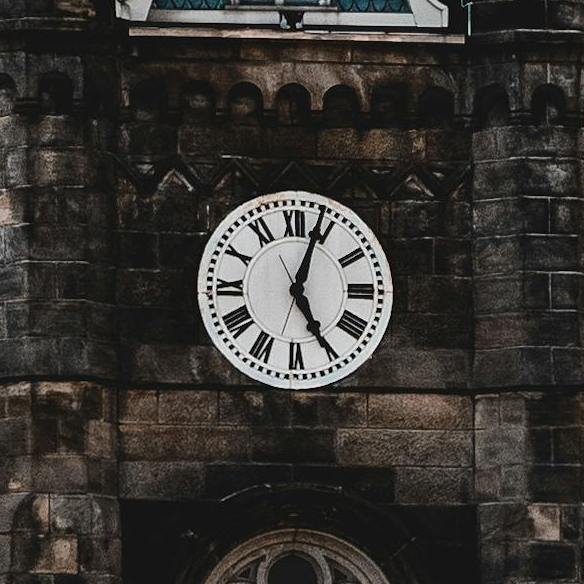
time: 5:03
